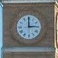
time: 2:59
